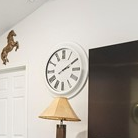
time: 2:09
